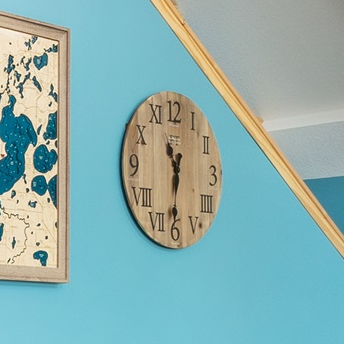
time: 11:31
